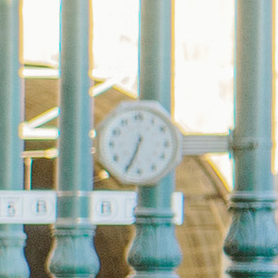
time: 6:34
